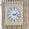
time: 2:18
